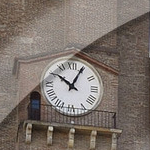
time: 10:04
